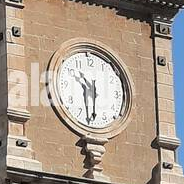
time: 10:30
